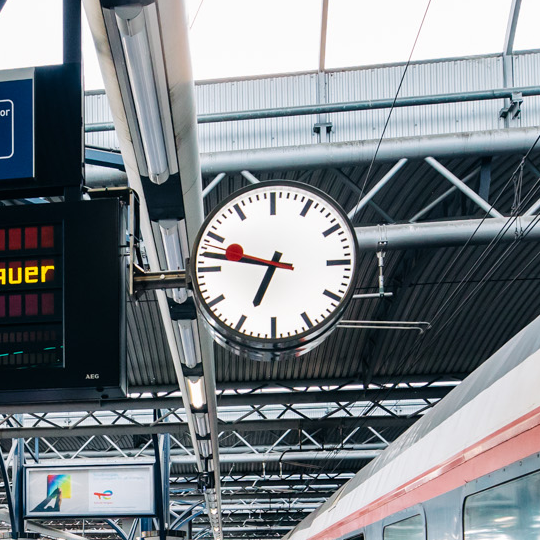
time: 6:47
